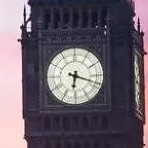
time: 6:18
